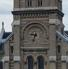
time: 9:33
